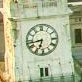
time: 6:42
